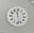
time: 11:28
